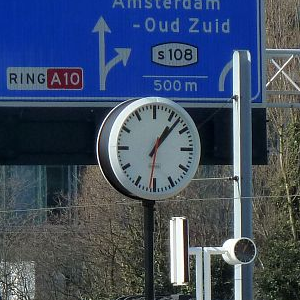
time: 1:07
